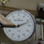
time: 9:11
